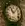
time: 11:07
